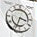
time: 3:33
